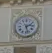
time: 2:27
